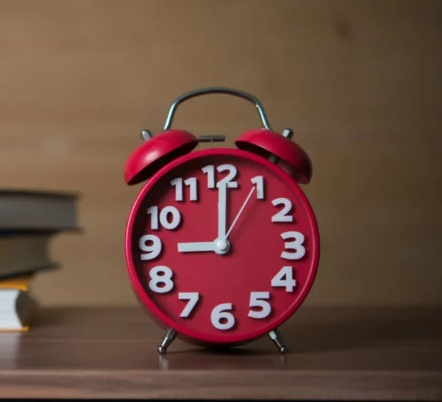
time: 9:00
